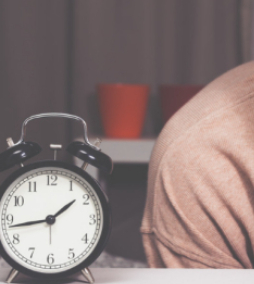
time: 1:43
